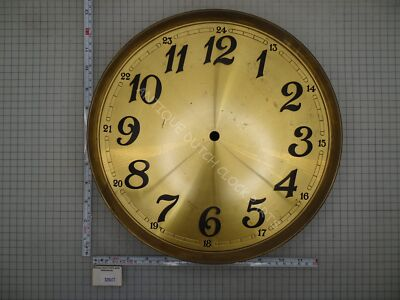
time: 6:00
